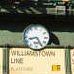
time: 8:25
